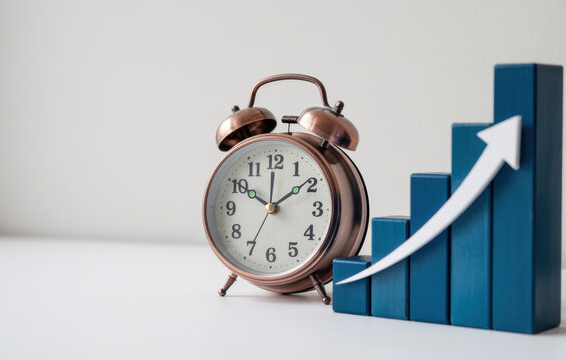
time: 1:50
